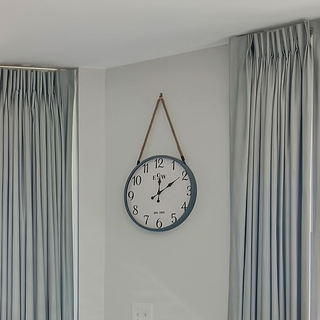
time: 12:09
